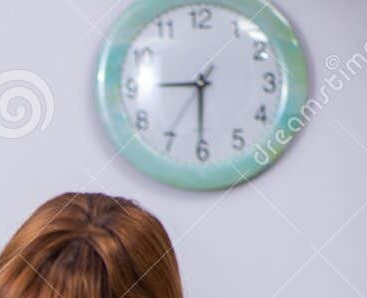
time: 8:30
